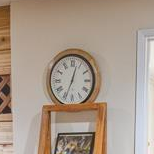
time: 12:34
